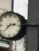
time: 2:38
